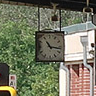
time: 11:16
